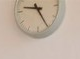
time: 9:25
